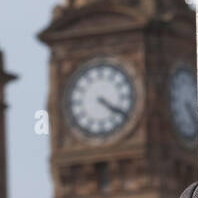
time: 4:20
